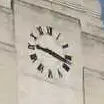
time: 9:17
